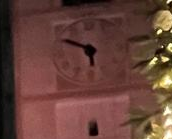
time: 5:49
